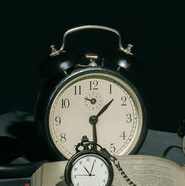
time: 1:29
